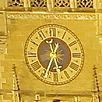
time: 5:34
